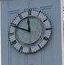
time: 11:48
